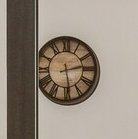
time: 2:29
